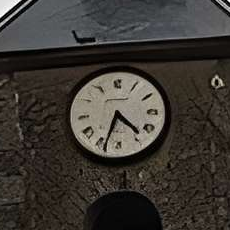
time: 4:33
